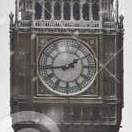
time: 1:44
